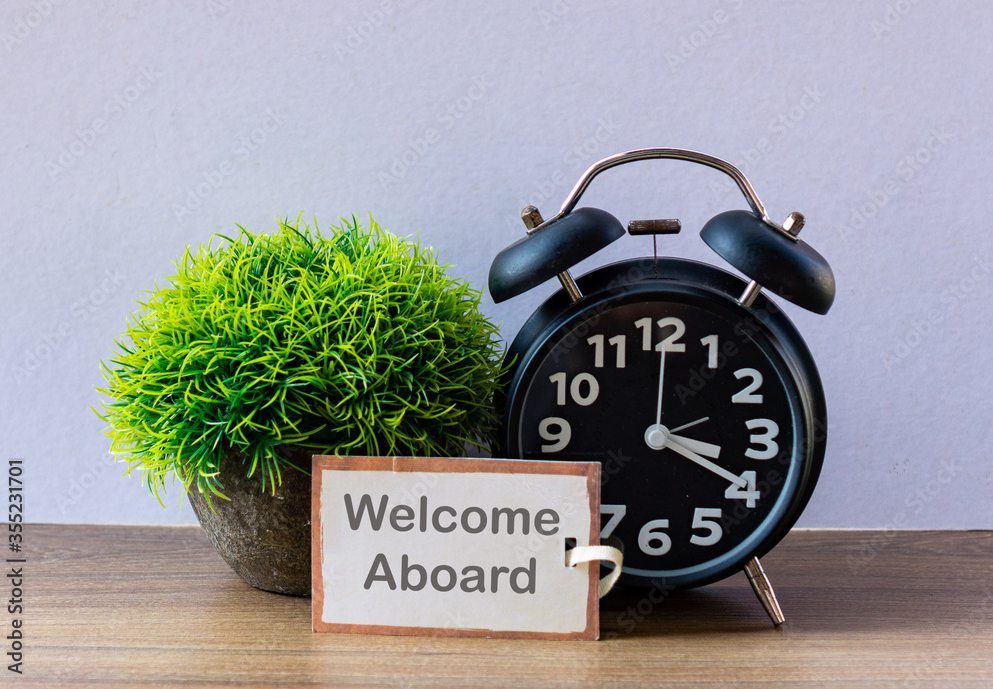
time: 4:00
